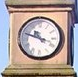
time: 10:48
